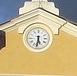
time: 5:31
